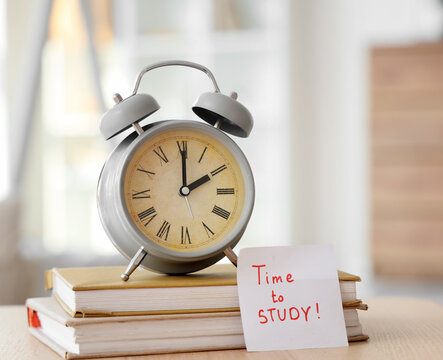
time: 2:00
